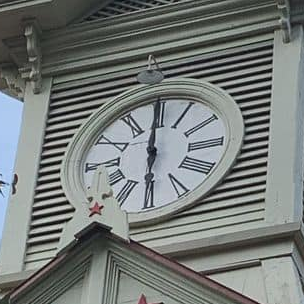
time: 5:59
